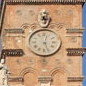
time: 12:26
